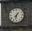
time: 7:32
